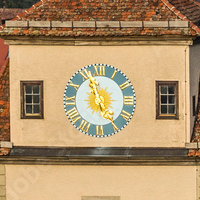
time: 4:57
